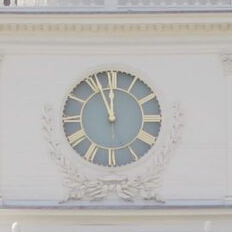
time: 11:56
